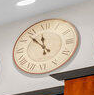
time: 11:52
